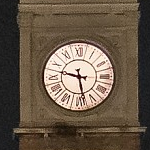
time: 9:28
